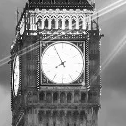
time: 7:55
